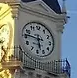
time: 5:46
